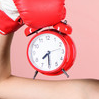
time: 7:30
